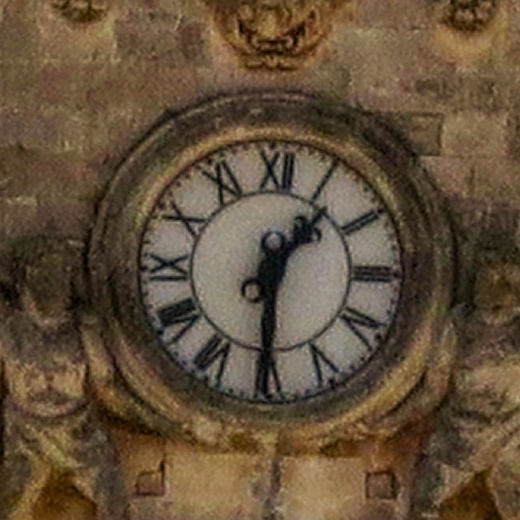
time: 1:30
